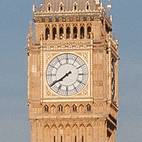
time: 7:39
